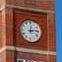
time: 12:13
